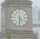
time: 4:30
